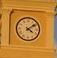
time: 4:08
